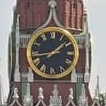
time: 1:43
